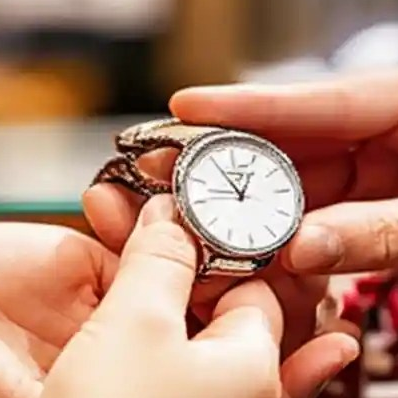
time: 12:53
